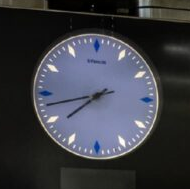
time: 7:42
